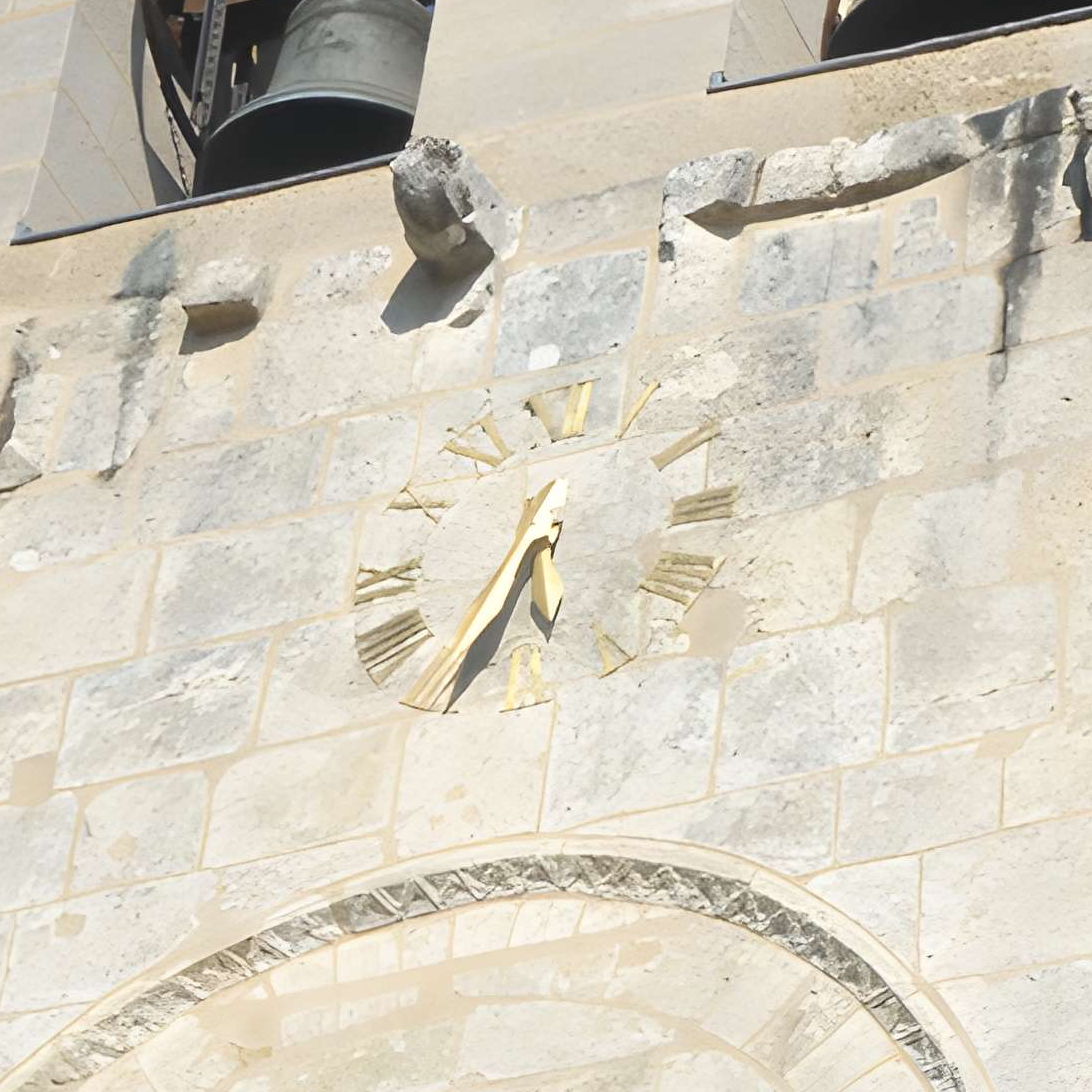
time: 5:33
